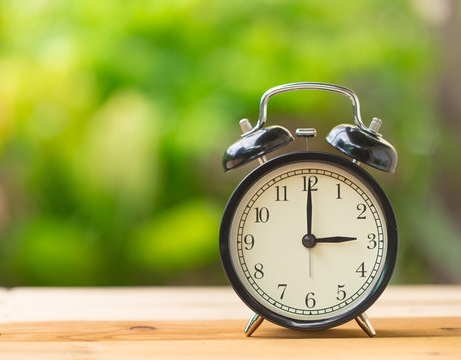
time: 3:00
